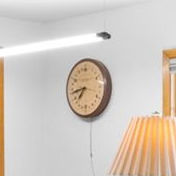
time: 7:43
